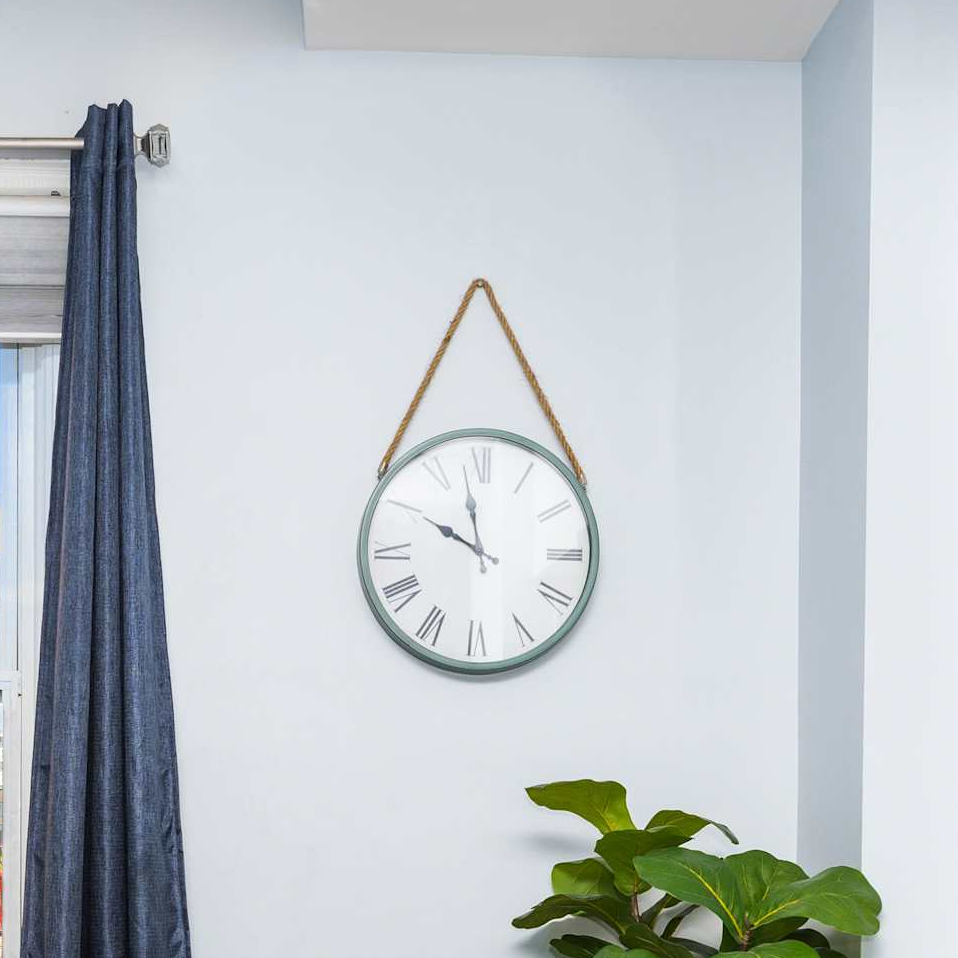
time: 9:57
